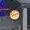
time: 8:11
